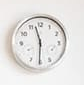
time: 11:30
